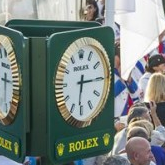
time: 6:15
